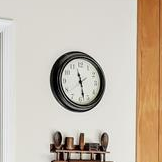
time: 11:28
